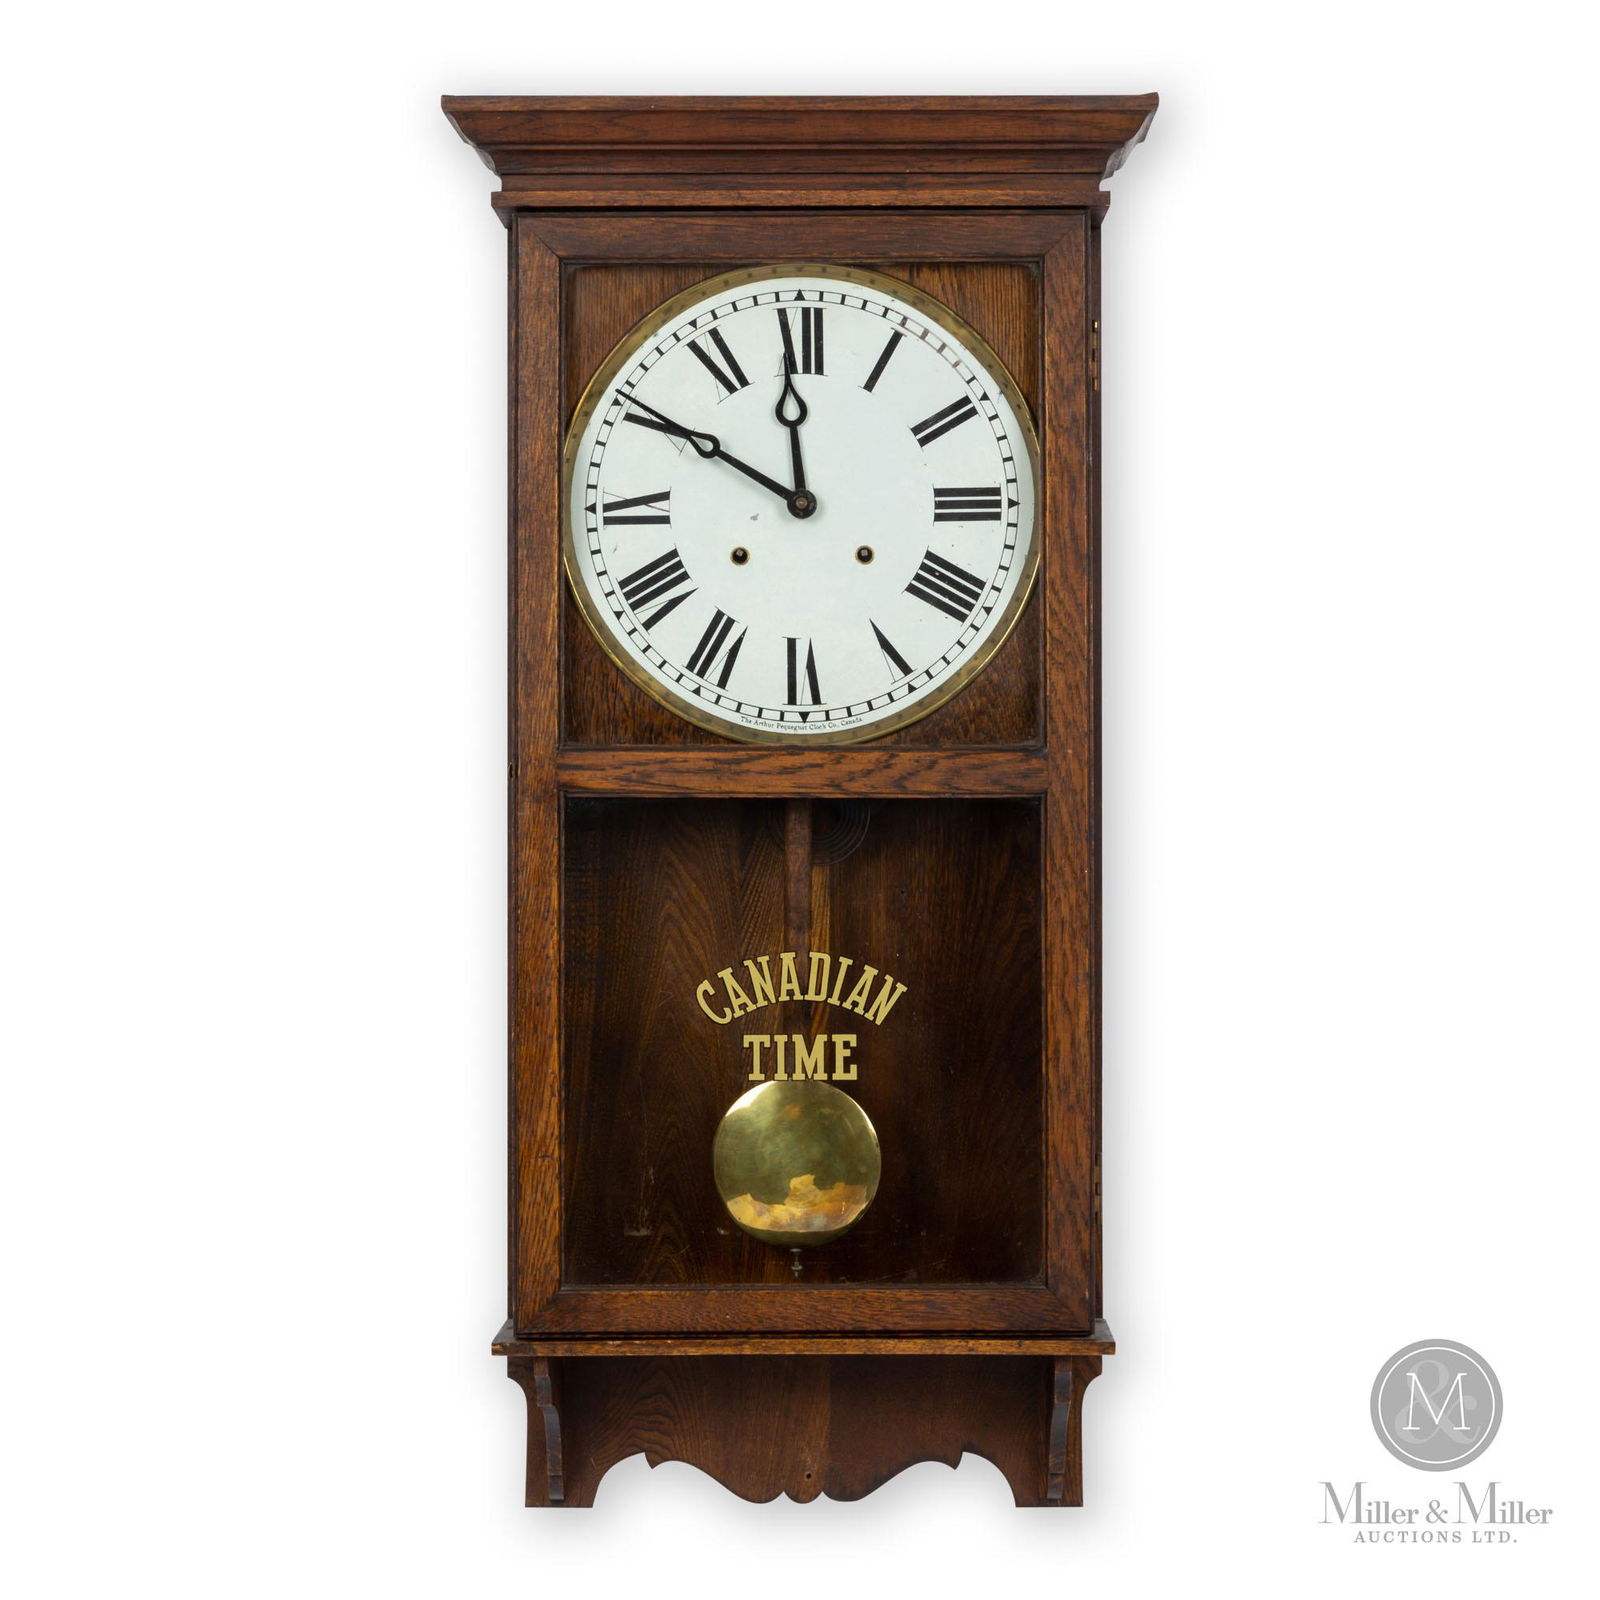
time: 11:50
